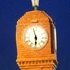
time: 5:57
